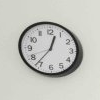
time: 12:36
